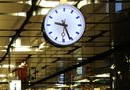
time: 9:26
